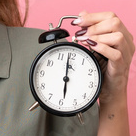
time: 5:59
